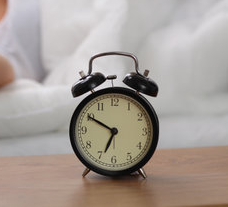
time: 6:49
